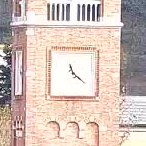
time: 11:21
